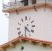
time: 4:31
